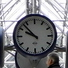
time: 9:53
